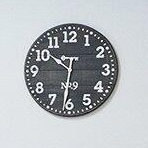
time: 10:31
